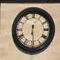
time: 6:29
